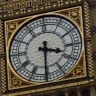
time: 3:30
